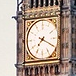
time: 7:19
